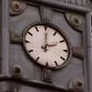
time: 2:00
